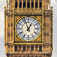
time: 12:56
